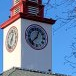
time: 12:37
